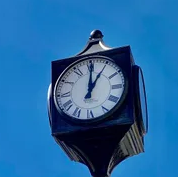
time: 1:00
